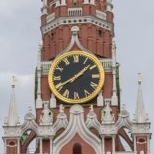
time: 1:40
